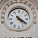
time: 4:20
